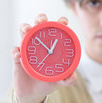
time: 12:52
